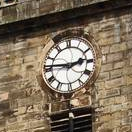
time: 2:46
